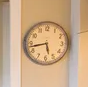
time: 5:42
